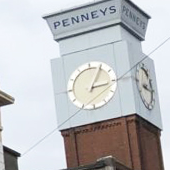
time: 3:05
